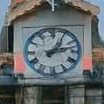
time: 1:12
